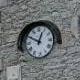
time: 12:49
